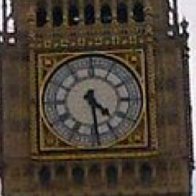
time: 4:29
